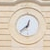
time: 12:37
